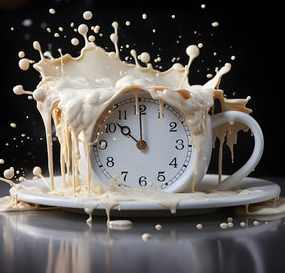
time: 10:00
